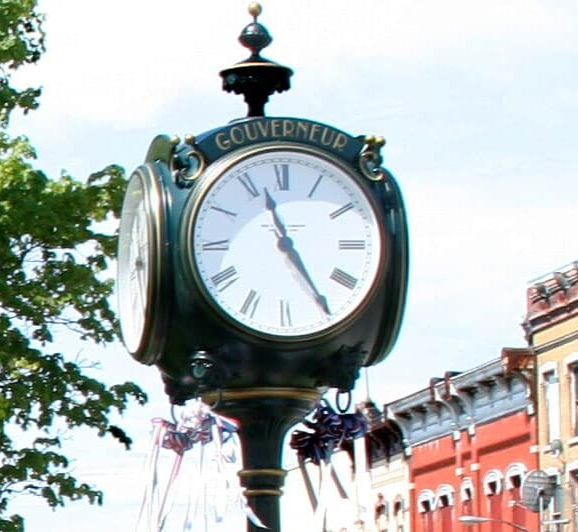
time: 11:24
